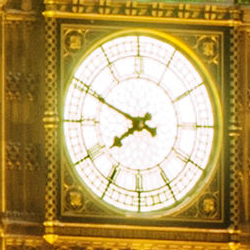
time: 7:49
